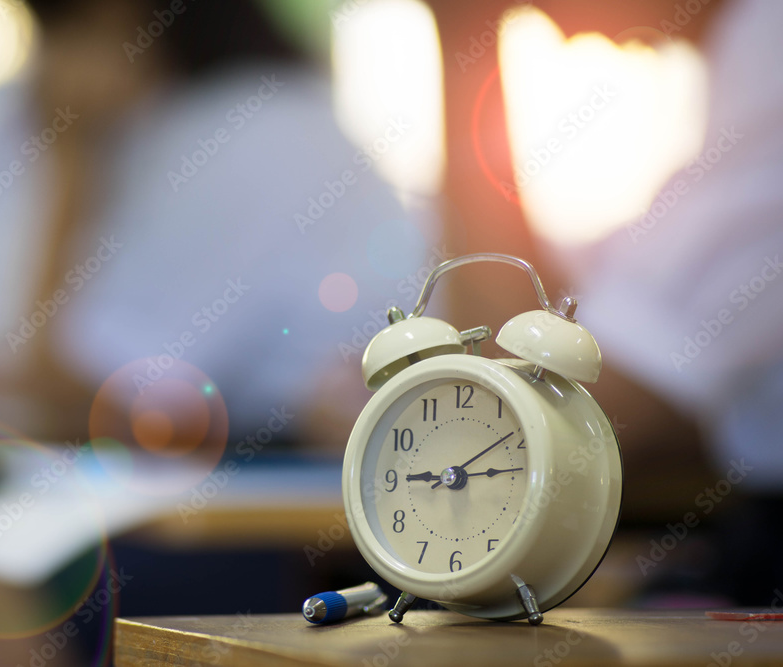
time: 9:09
